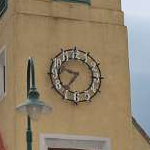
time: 9:36
